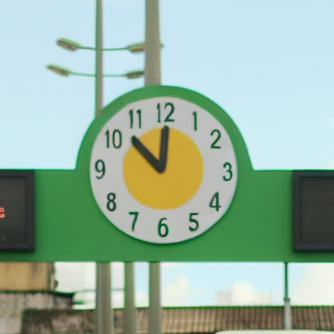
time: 11:52
